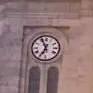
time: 6:55
